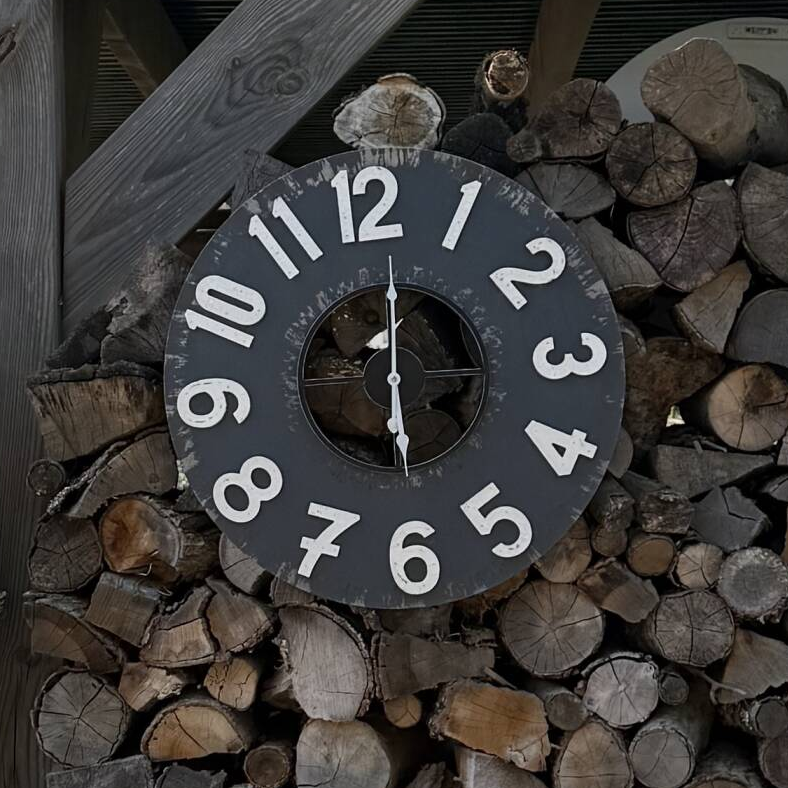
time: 6:01
